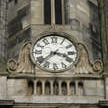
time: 3:38
